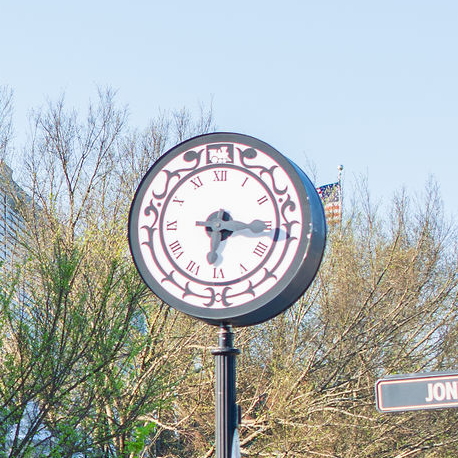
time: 6:15
